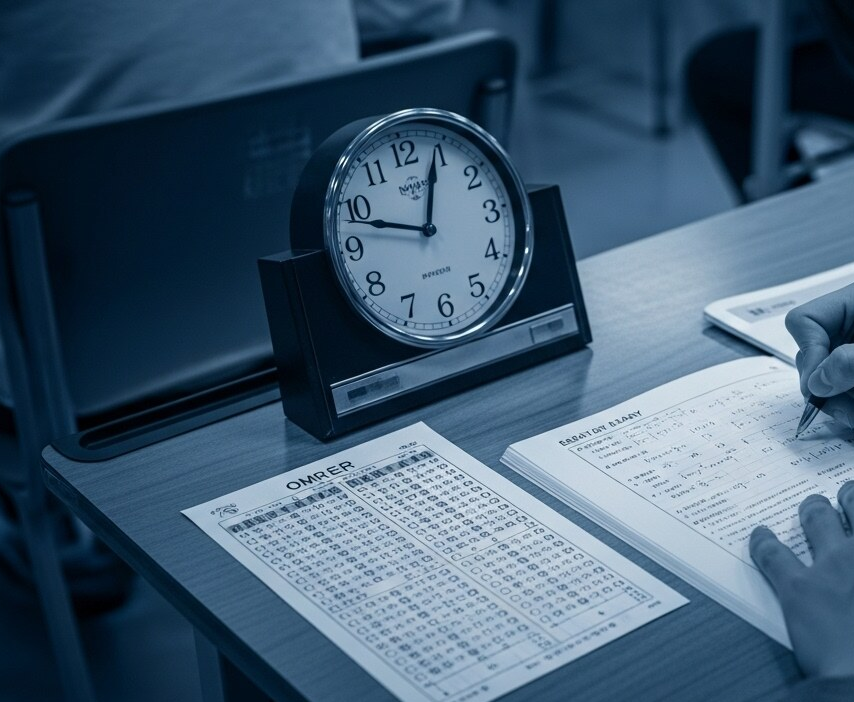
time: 12:48
